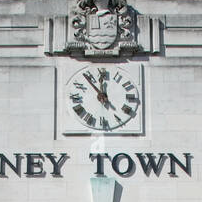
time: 11:53
